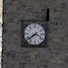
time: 3:38
